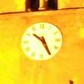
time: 10:25
